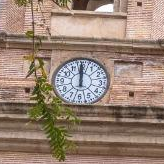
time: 12:00
